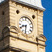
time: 8:32
